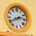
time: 2:40
